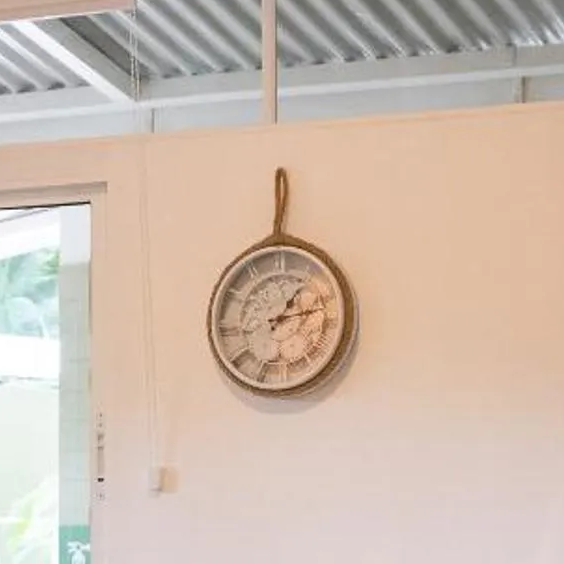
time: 1:12
